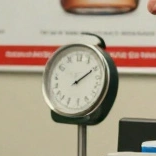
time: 2:10
